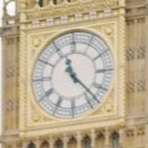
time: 11:22
